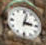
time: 3:02
